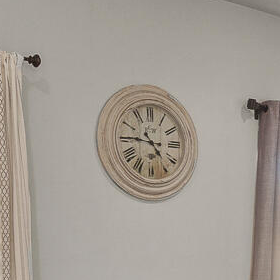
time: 4:45
